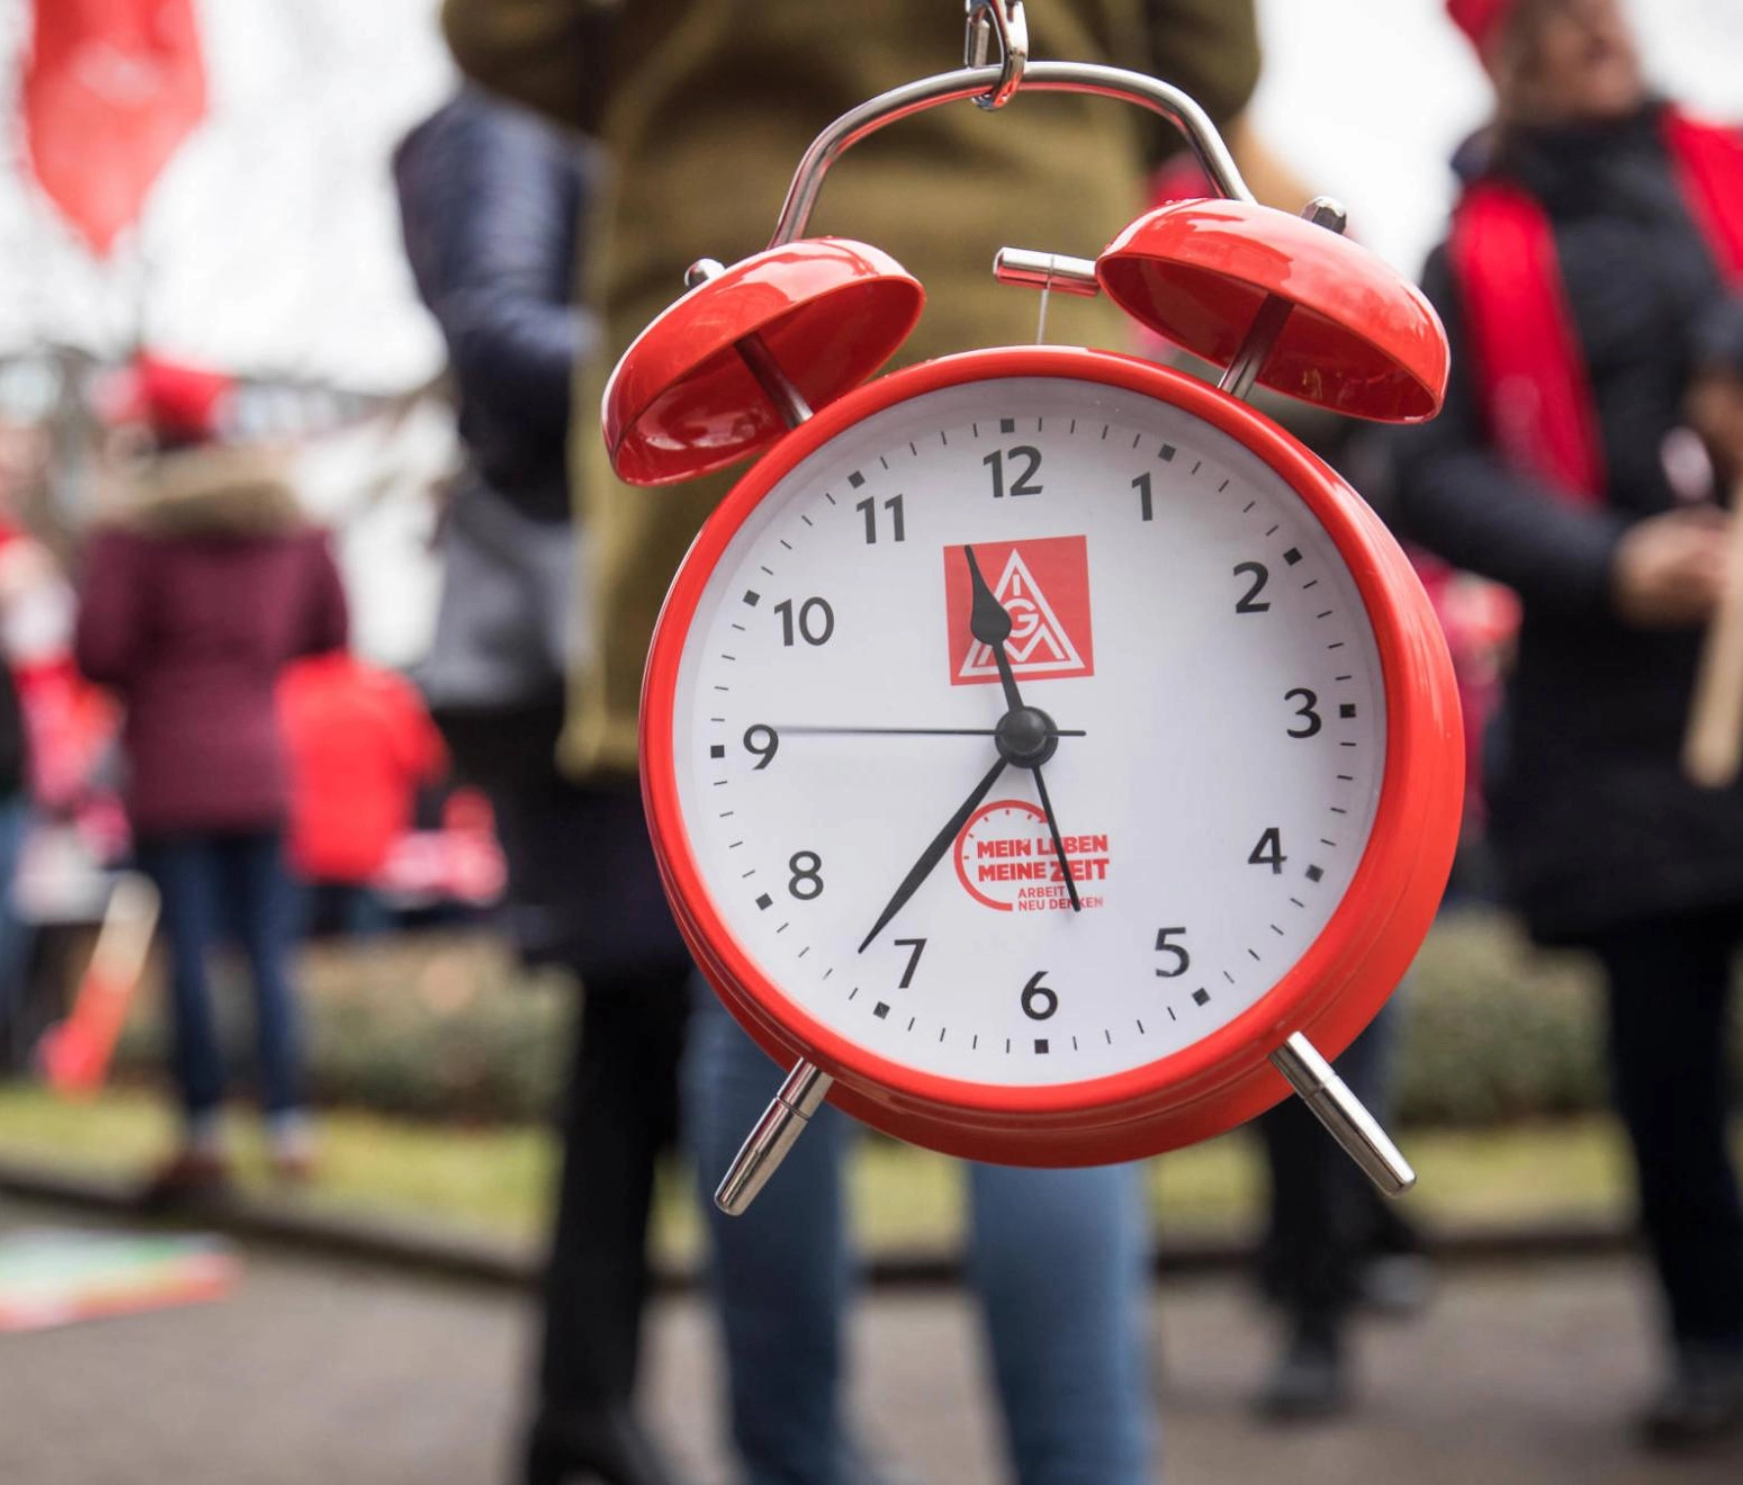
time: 11:36
